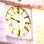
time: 9:28
